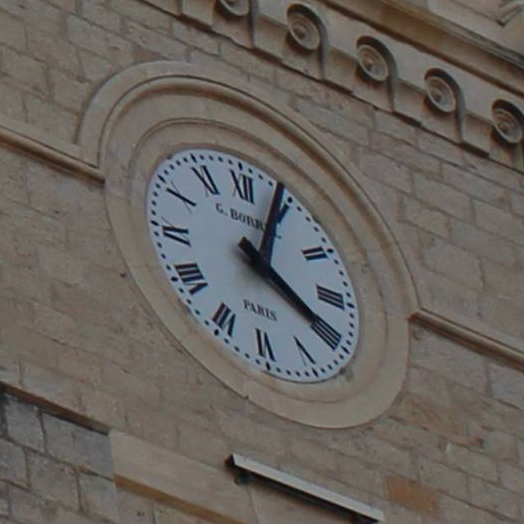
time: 4:04
